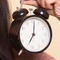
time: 7:01
